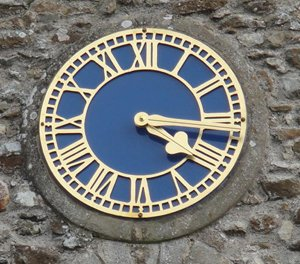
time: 4:16
